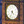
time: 4:34
